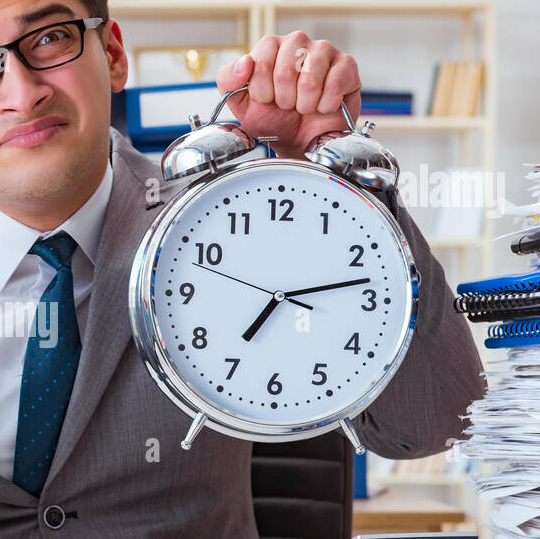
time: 7:13
